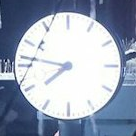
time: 7:46
